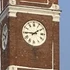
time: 1:45
